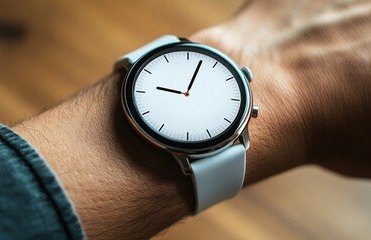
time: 9:02
